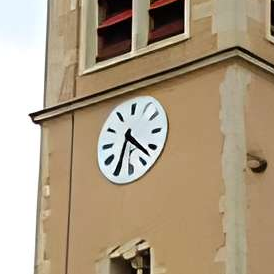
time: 4:34
